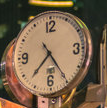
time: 7:24
